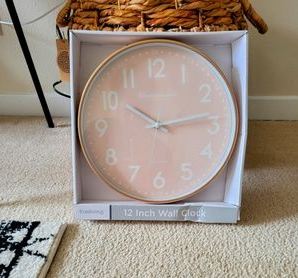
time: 10:13
